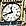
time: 11:41
